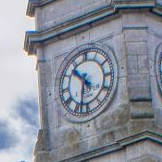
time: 10:32
